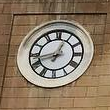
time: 12:42
